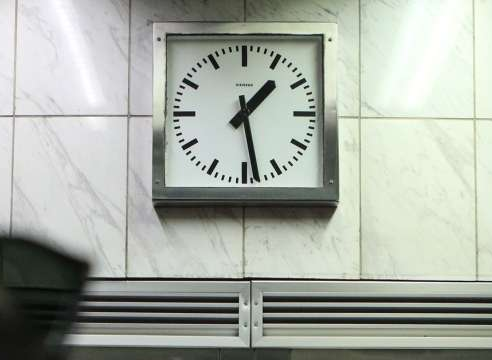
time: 1:28
